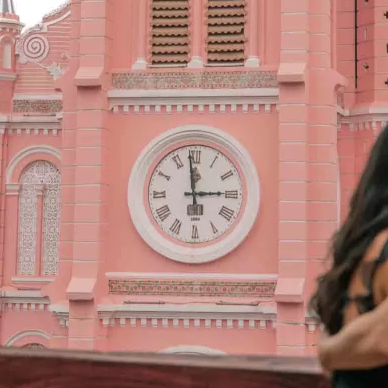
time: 2:58
